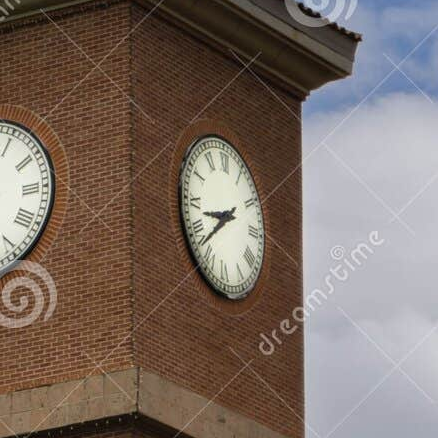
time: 8:38
